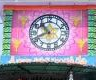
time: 10:41
